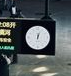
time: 12:03
